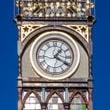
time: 1:20
